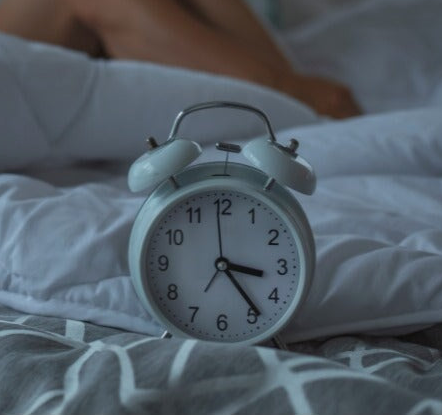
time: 3:23
